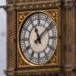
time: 11:08
